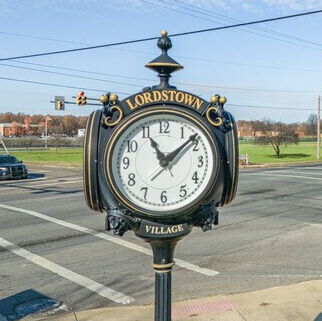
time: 11:08
